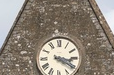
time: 3:20
